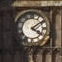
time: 4:09
